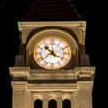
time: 10:39
